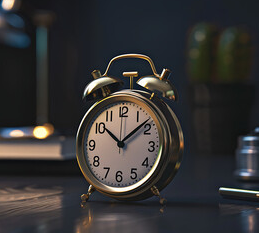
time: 10:08
